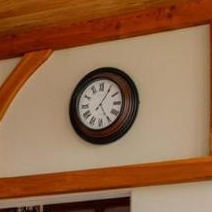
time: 5:05
